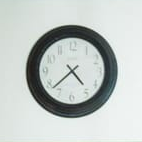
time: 4:37
